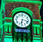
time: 6:17
